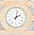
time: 2:01
